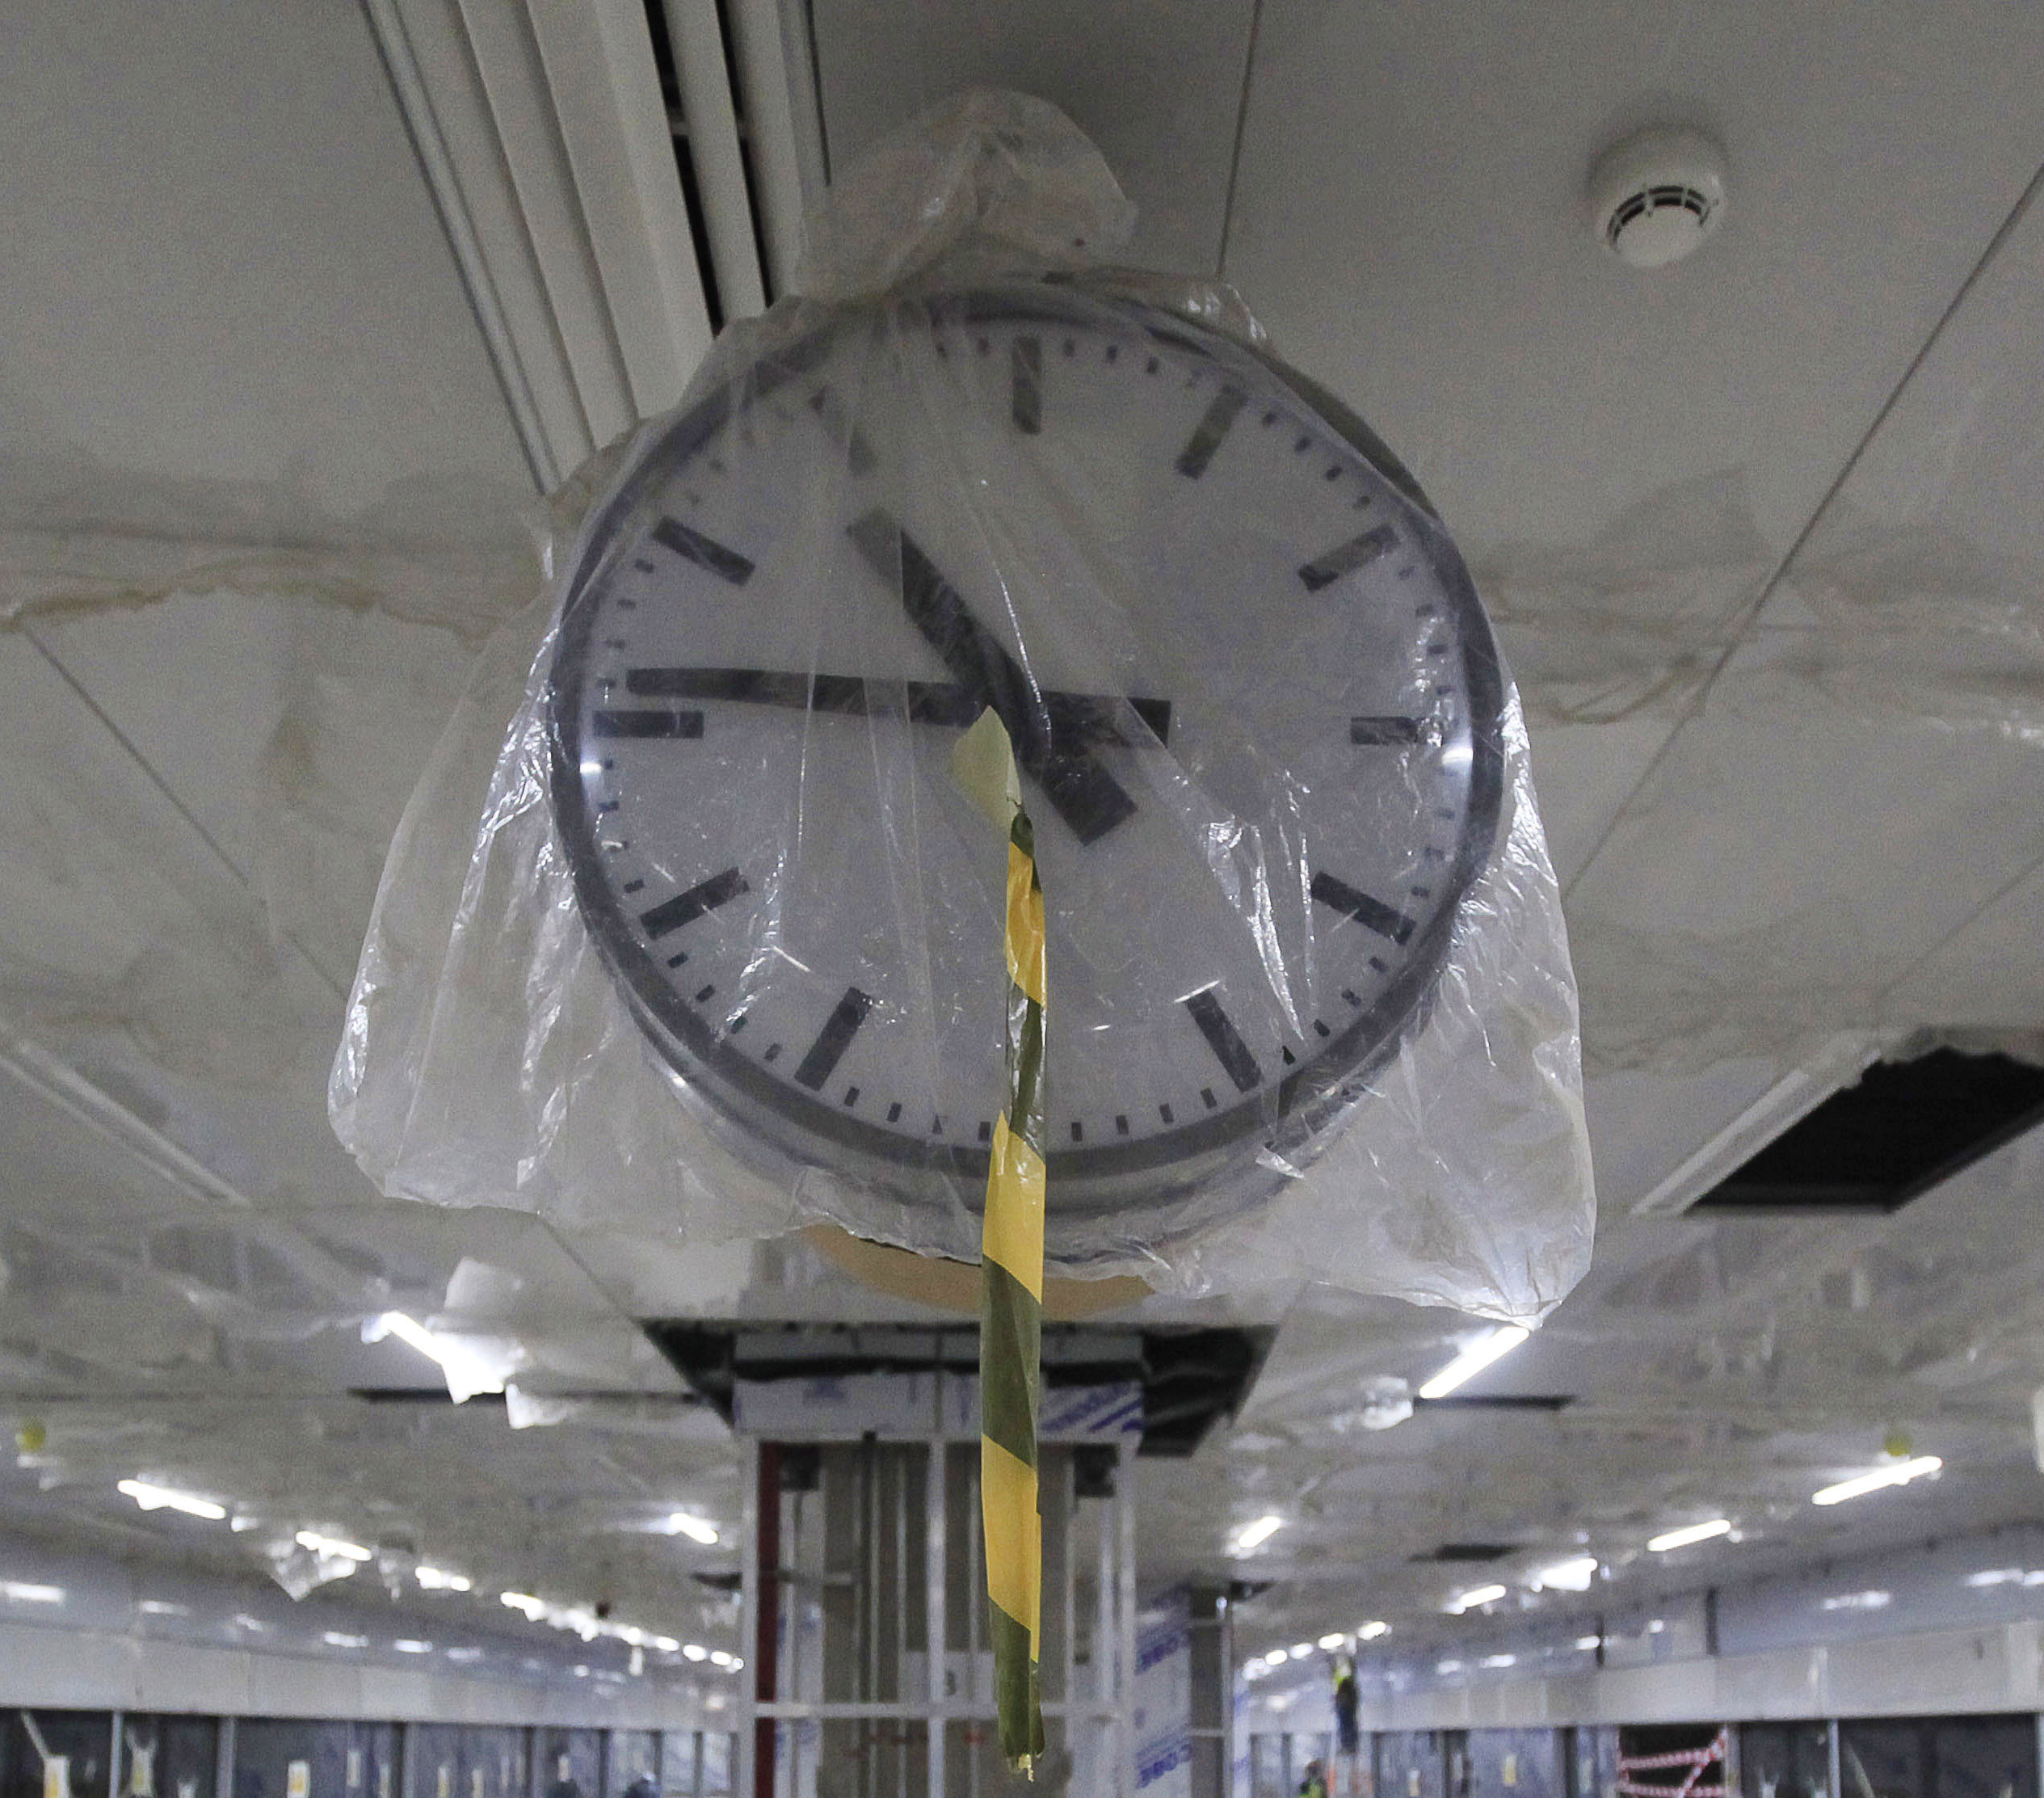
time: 10:46
